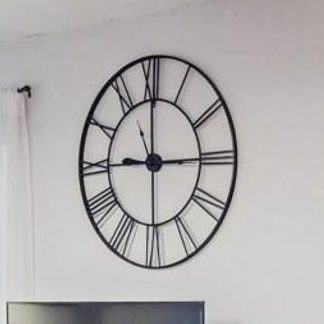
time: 9:00
